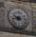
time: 9:42
